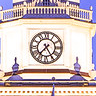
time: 7:24
